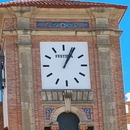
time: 1:04
